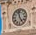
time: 4:57
